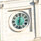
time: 6:01
